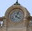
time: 4:04
